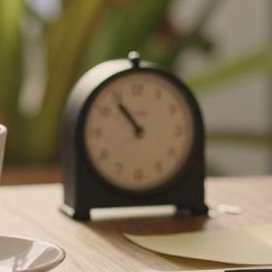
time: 10:53
